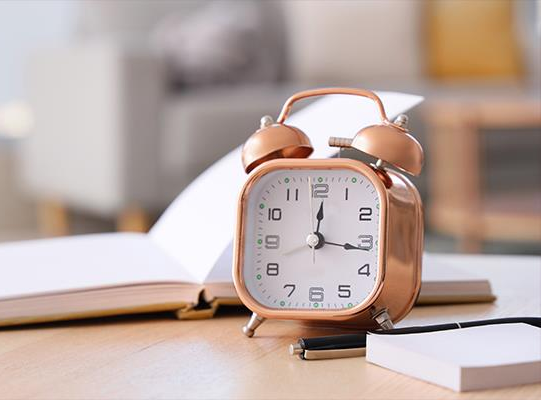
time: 12:16
